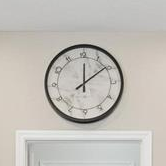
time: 12:09
